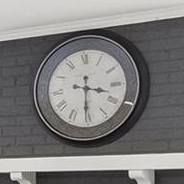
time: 3:30
